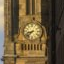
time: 8:38
